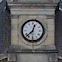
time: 12:37
